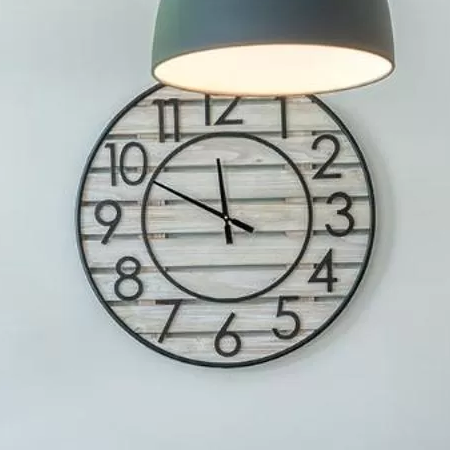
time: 11:49
